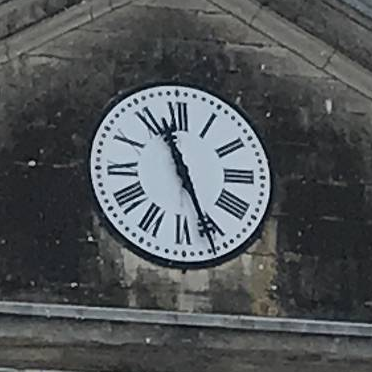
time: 11:26
